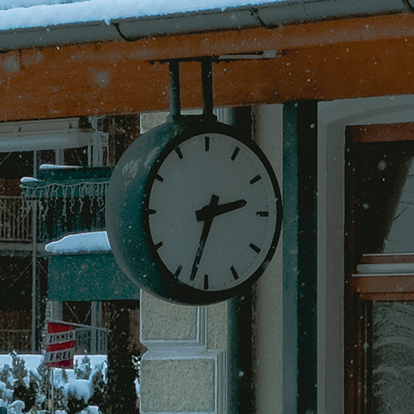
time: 2:32
